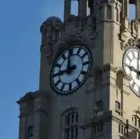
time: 11:44
